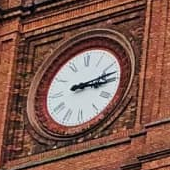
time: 3:12
